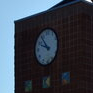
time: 9:53
